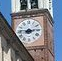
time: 2:46
